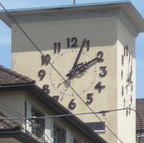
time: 2:03
